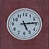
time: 5:13
